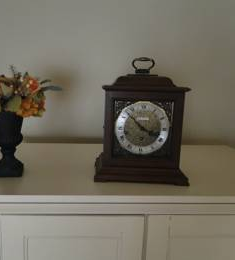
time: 3:52
